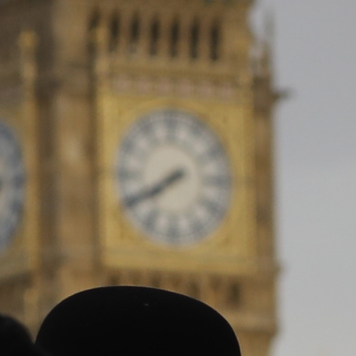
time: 7:40
